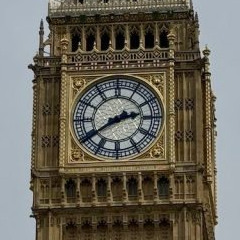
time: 2:39
